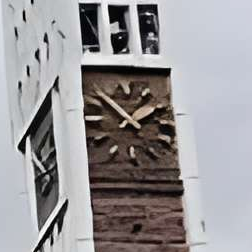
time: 1:51
